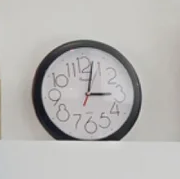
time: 3:02
